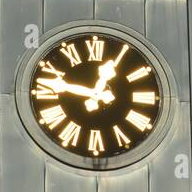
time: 12:47
